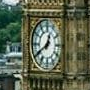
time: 12:40
